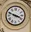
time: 3:48
